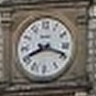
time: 8:18
